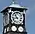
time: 10:42
